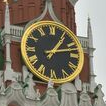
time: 1:12
